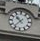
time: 10:36
